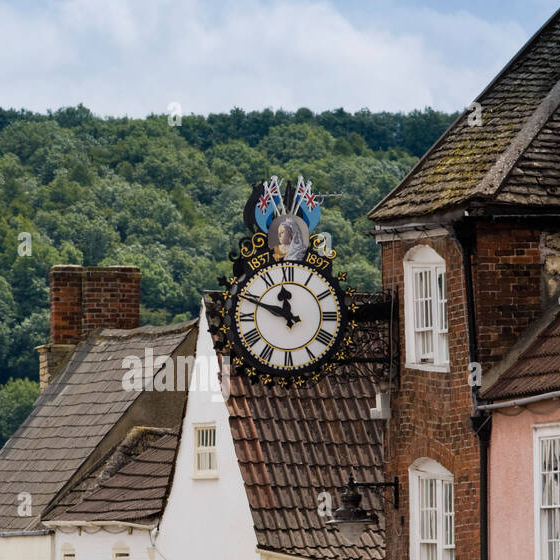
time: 11:48
